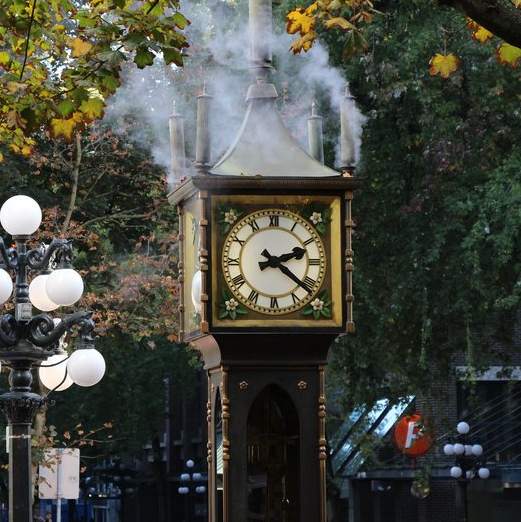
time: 2:21
